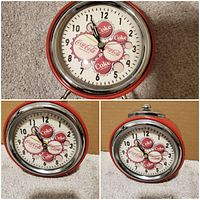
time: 10:56
